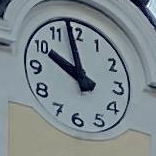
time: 9:58
